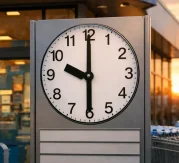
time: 9:30
